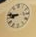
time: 8:47
